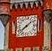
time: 1:38
